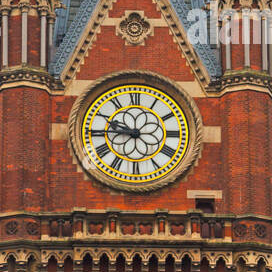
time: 9:45
